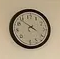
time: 3:52
